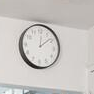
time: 12:08
